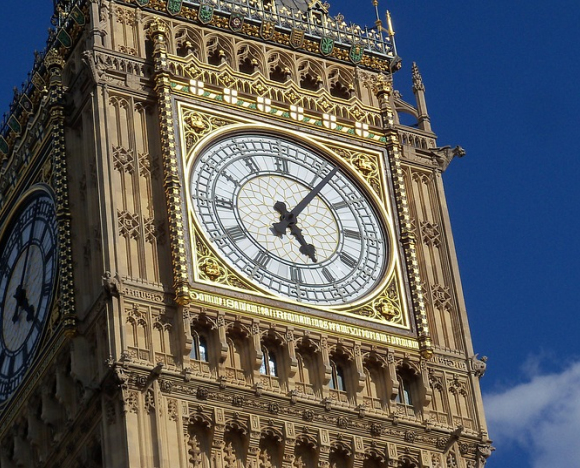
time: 5:06
